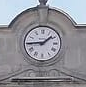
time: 1:44
